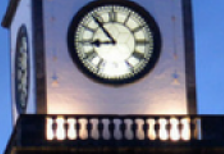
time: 8:53
